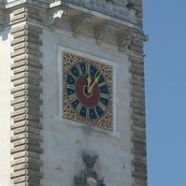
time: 12:06
